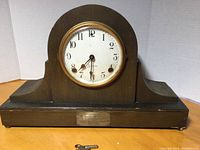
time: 7:31
